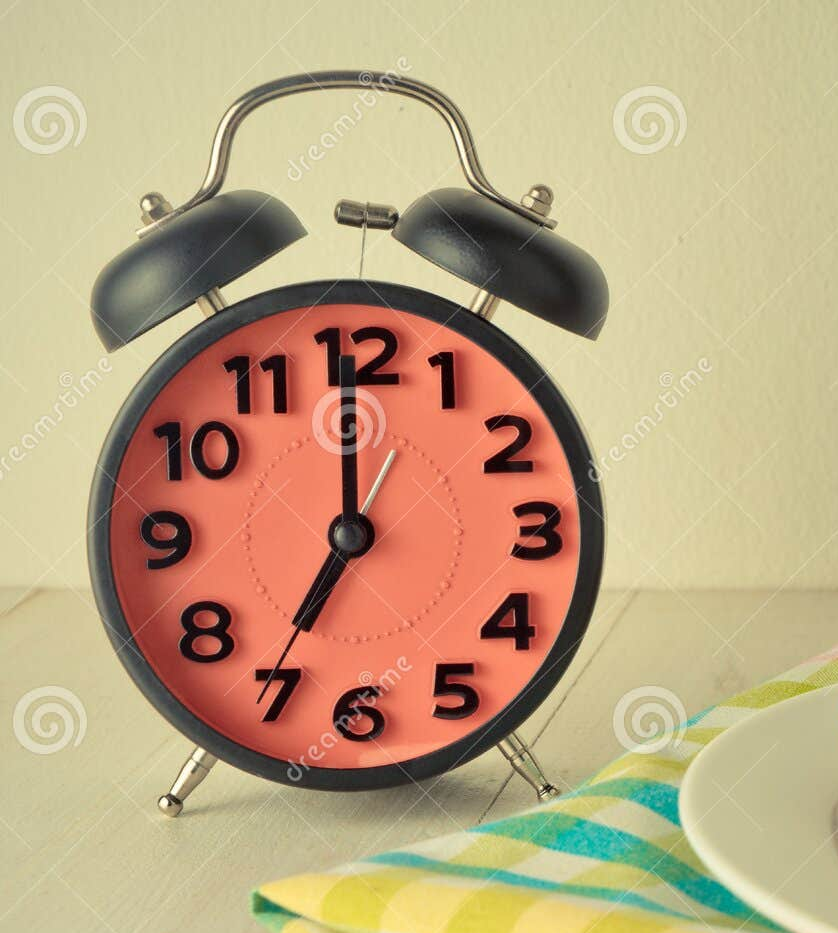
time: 6:59
